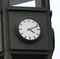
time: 4:11
